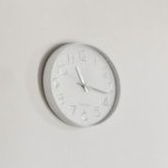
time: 11:17
